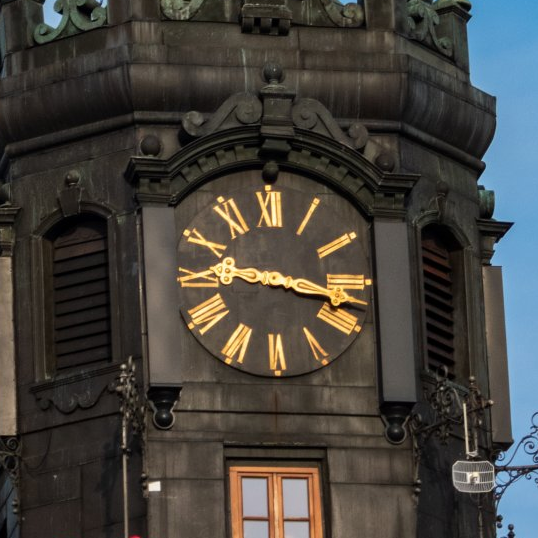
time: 9:17
